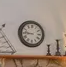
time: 8:46
